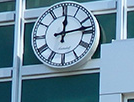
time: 12:13
